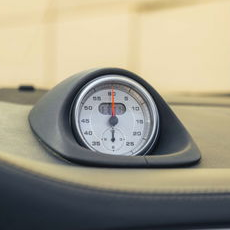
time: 6:00
